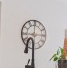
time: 7:00
